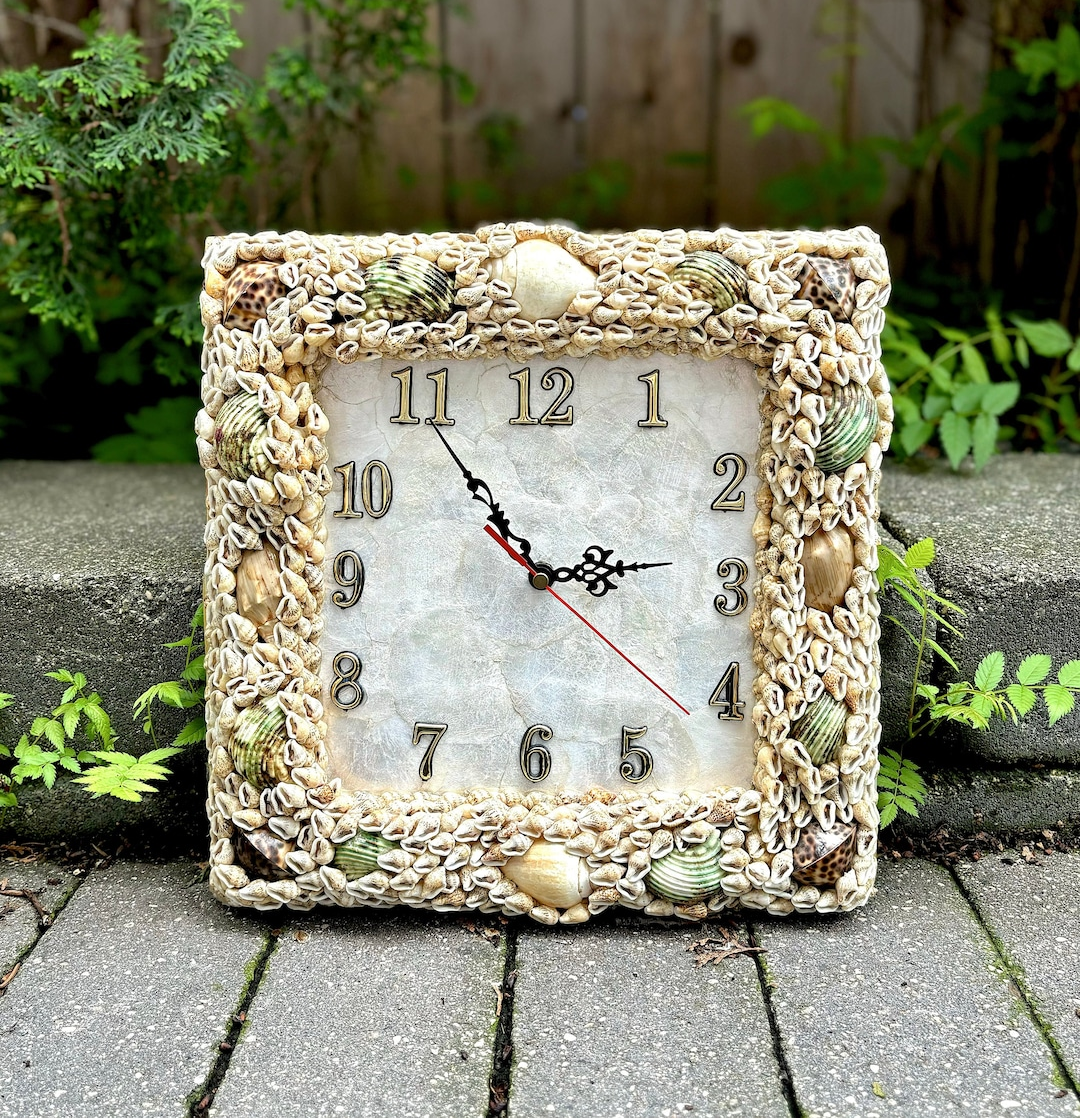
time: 2:54
